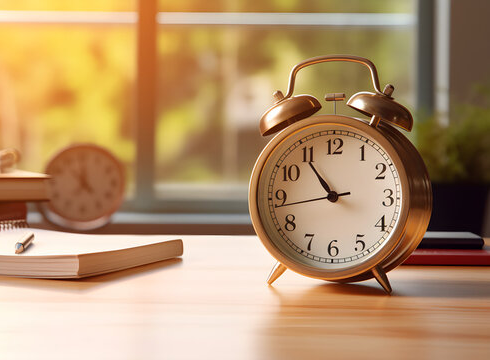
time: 10:54
